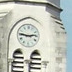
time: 2:46
